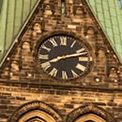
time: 8:12
